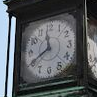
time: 11:40
